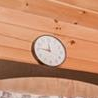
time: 11:46
